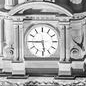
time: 5:44
